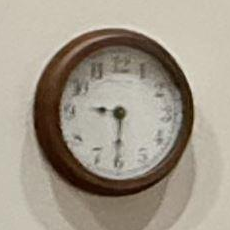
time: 9:30
